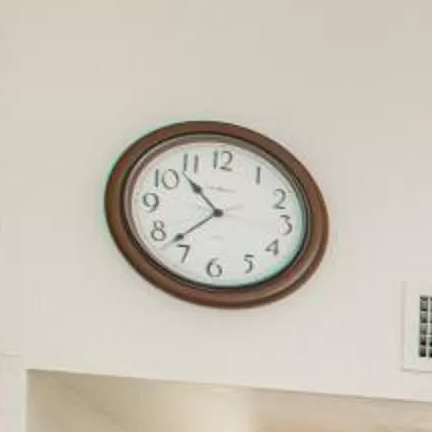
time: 10:37
